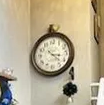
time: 3:22
